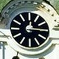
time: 12:15
